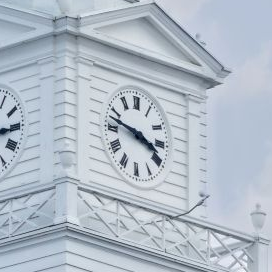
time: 3:47
